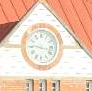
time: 9:17
